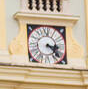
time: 3:22
